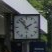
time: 1:53
